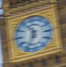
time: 11:34
